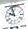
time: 9:57
